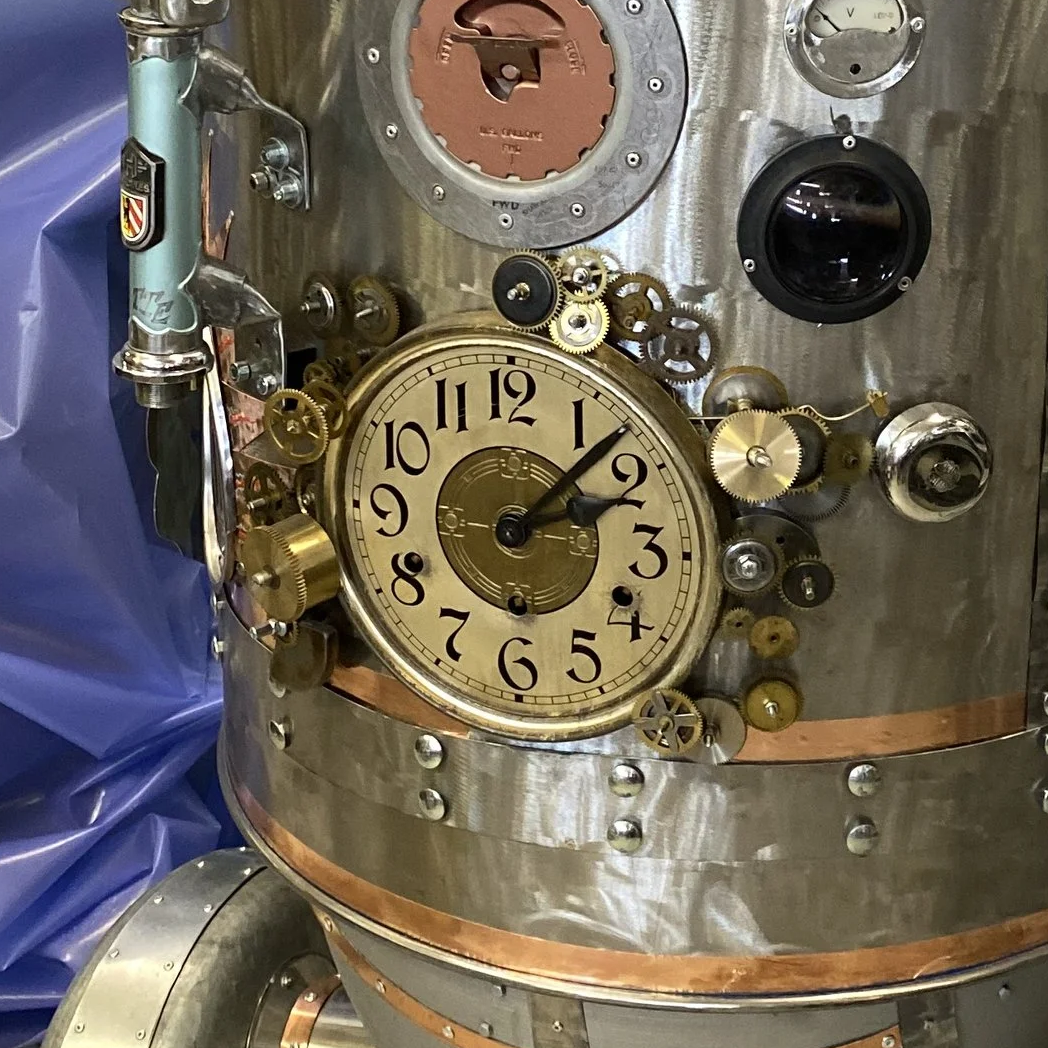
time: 2:07
